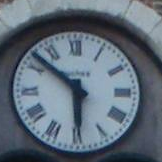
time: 5:51
